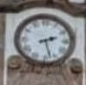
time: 2:27
